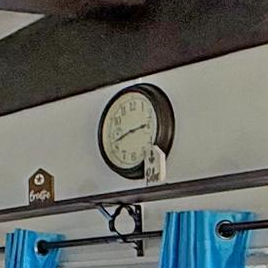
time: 2:42
